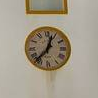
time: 12:37
